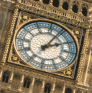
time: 2:04
